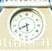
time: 5:40
